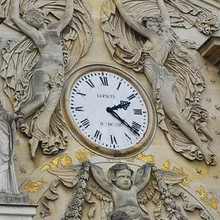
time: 2:21
